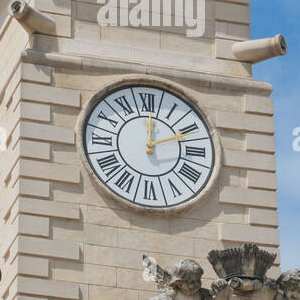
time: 12:10
